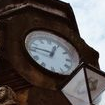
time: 12:46
